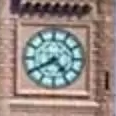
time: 4:39
